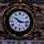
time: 10:16
